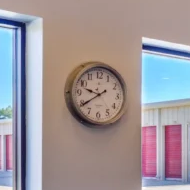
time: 9:39
